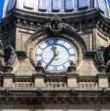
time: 11:35
